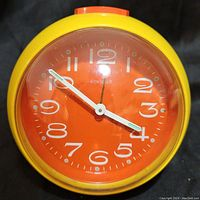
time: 3:51
